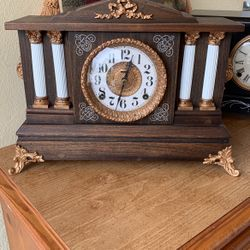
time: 12:32
